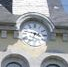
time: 3:47
